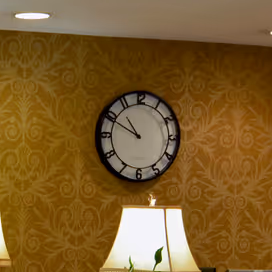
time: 10:49
